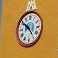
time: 4:50
